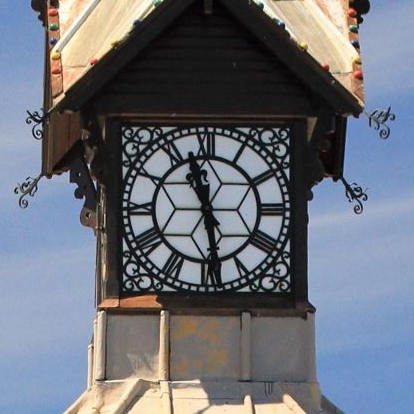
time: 11:28
